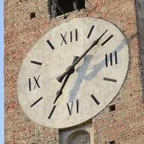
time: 7:08
